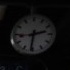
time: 2:31
